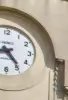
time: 8:23
